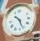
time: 10:26
